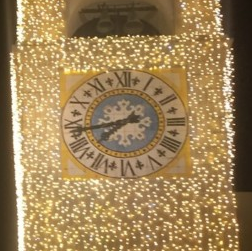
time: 7:42
